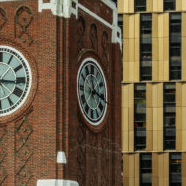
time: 12:16
